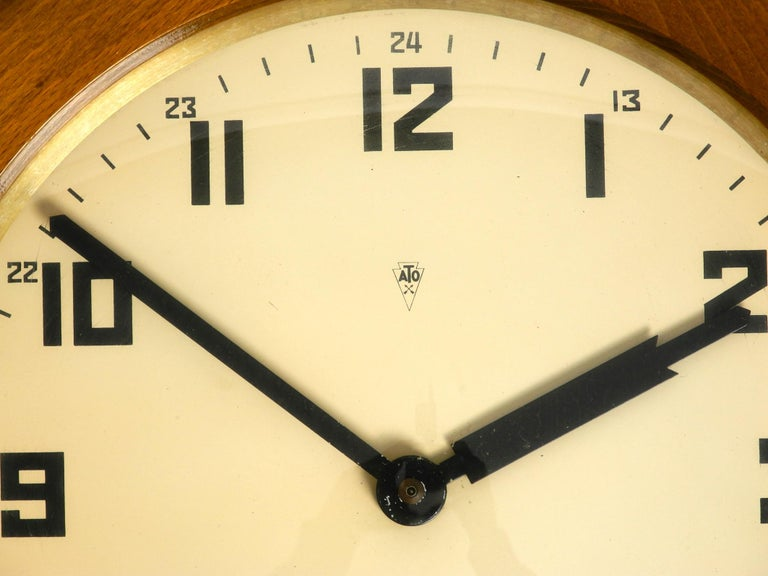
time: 1:51
